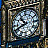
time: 10:41
